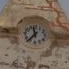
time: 11:36
